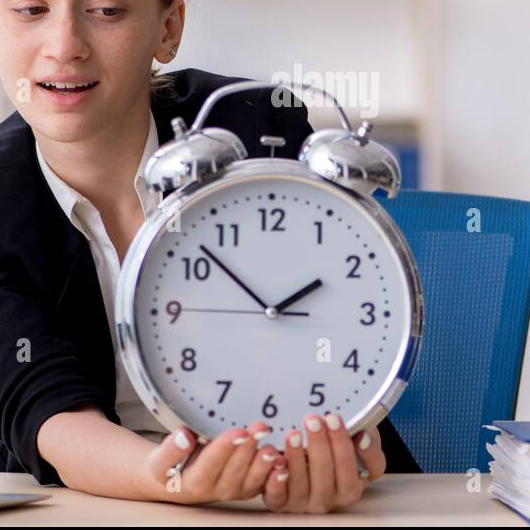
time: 1:52
